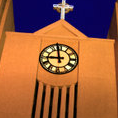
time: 8:58
